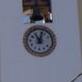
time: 11:02
